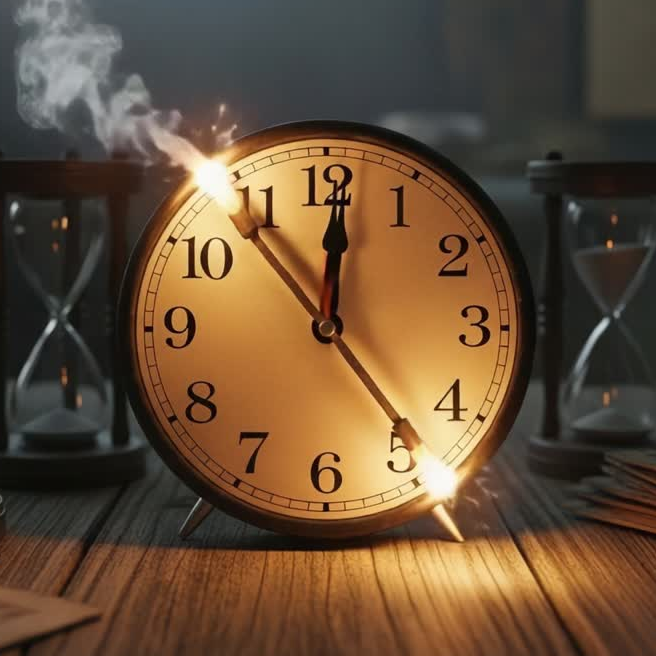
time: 12:00
